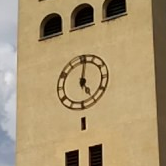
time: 5:00
